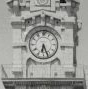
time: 6:26
